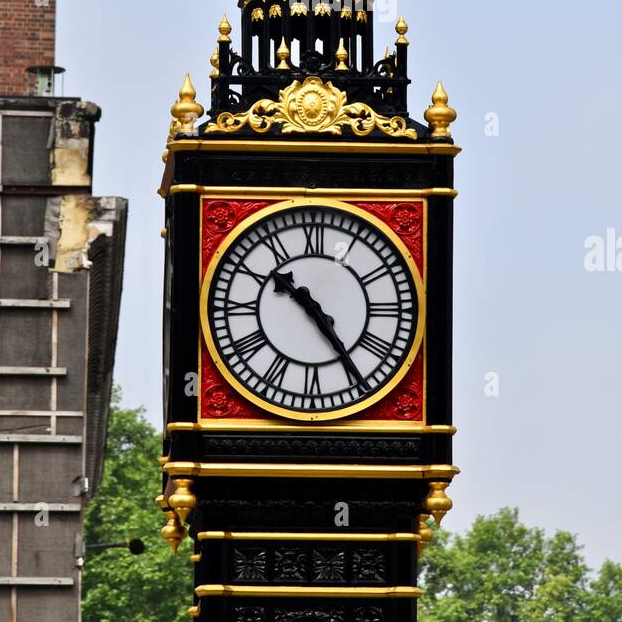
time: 10:24
